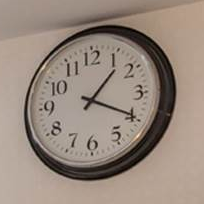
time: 1:19
